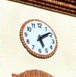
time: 5:08
